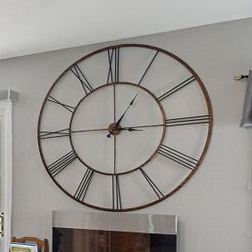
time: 1:14
